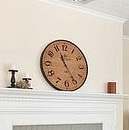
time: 11:24
